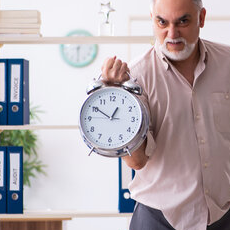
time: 12:50
